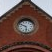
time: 5:49
